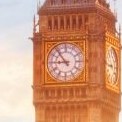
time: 8:53
